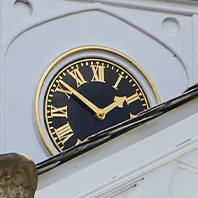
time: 1:51
